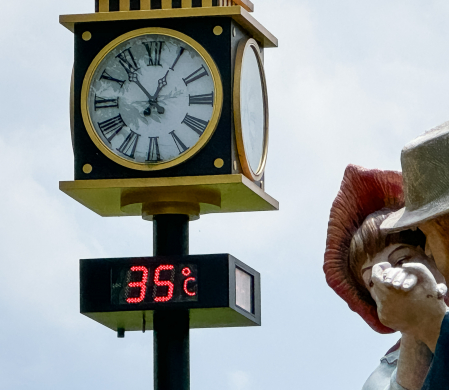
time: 12:53
